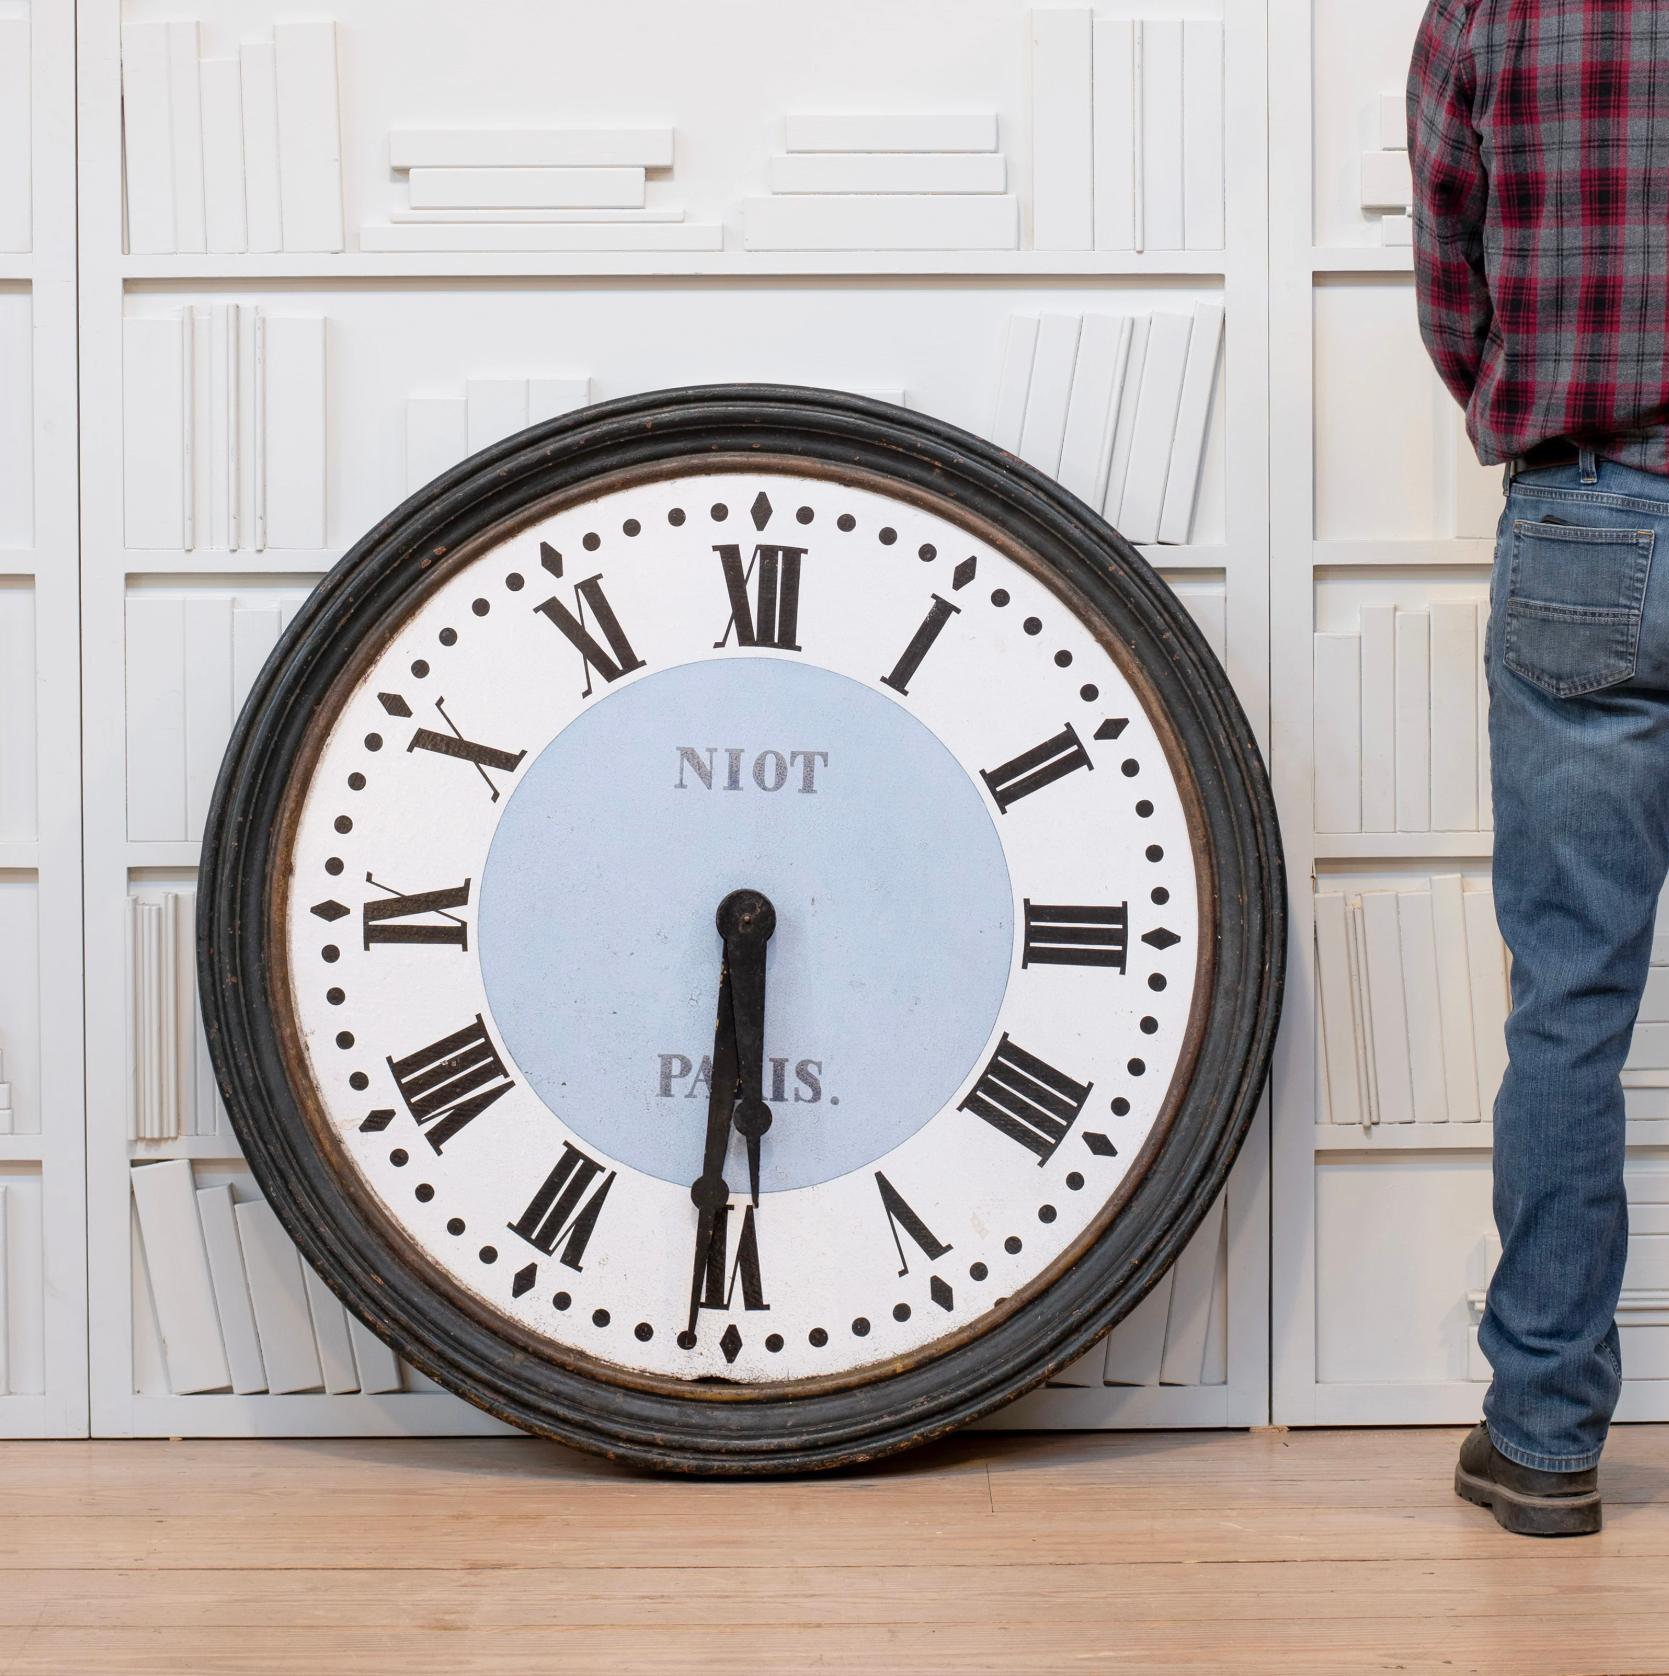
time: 5:30
